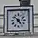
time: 4:52
